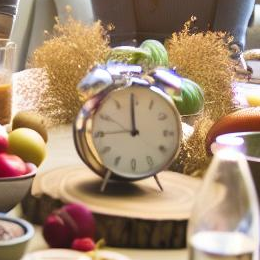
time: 11:59
